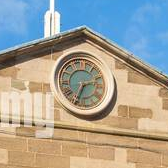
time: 2:34
